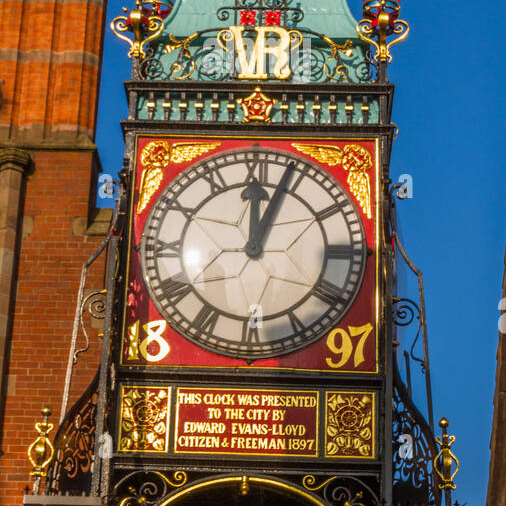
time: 12:03
